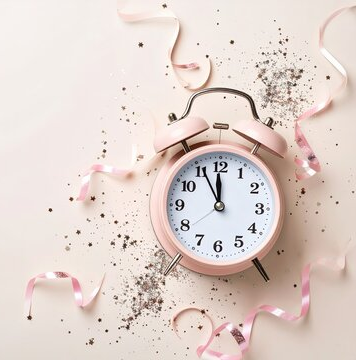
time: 11:55
